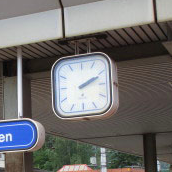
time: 2:11
